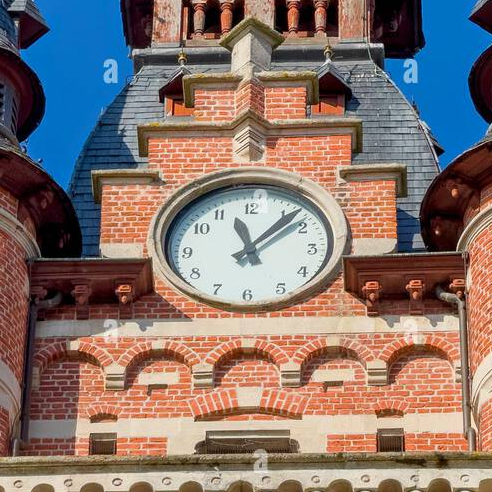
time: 11:07
